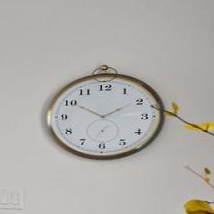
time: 1:50
